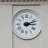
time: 3:11
